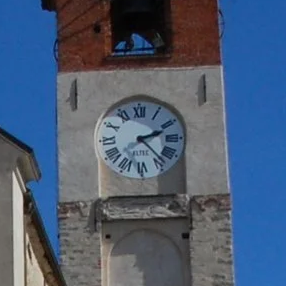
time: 2:23
